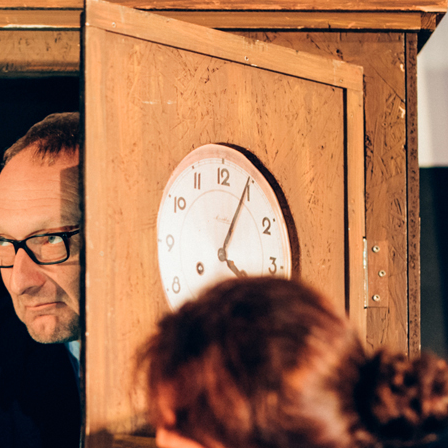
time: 4:04
